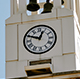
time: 12:49
